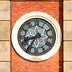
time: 8:35
